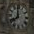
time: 7:58
